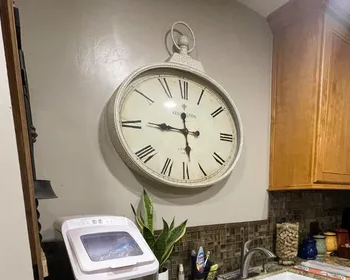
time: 5:45
